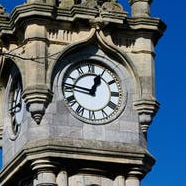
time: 12:46
